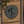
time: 4:31
